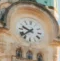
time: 9:38
